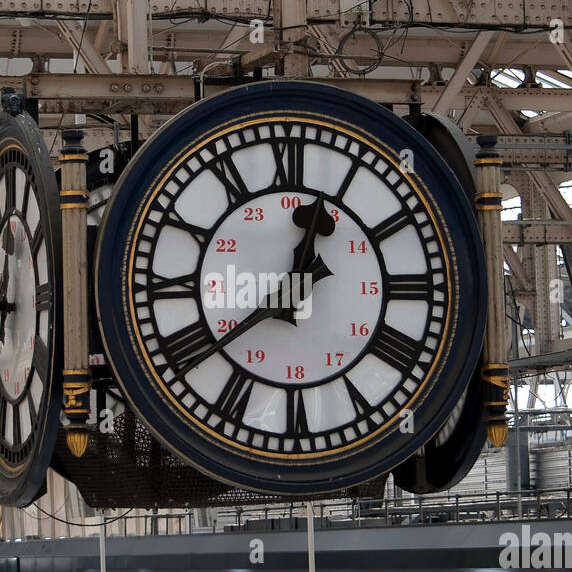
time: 12:38
